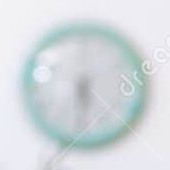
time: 5:31
